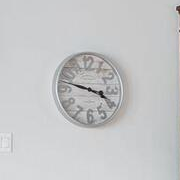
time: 3:47
